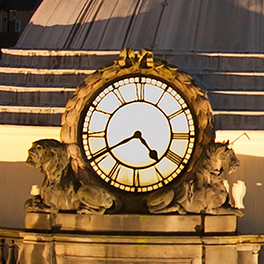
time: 4:40
